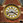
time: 3:42
